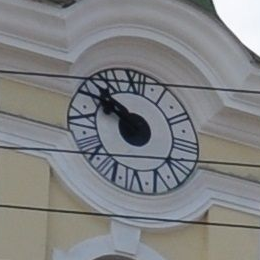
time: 9:51
